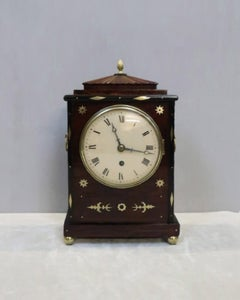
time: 11:16
